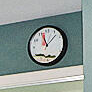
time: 11:07
